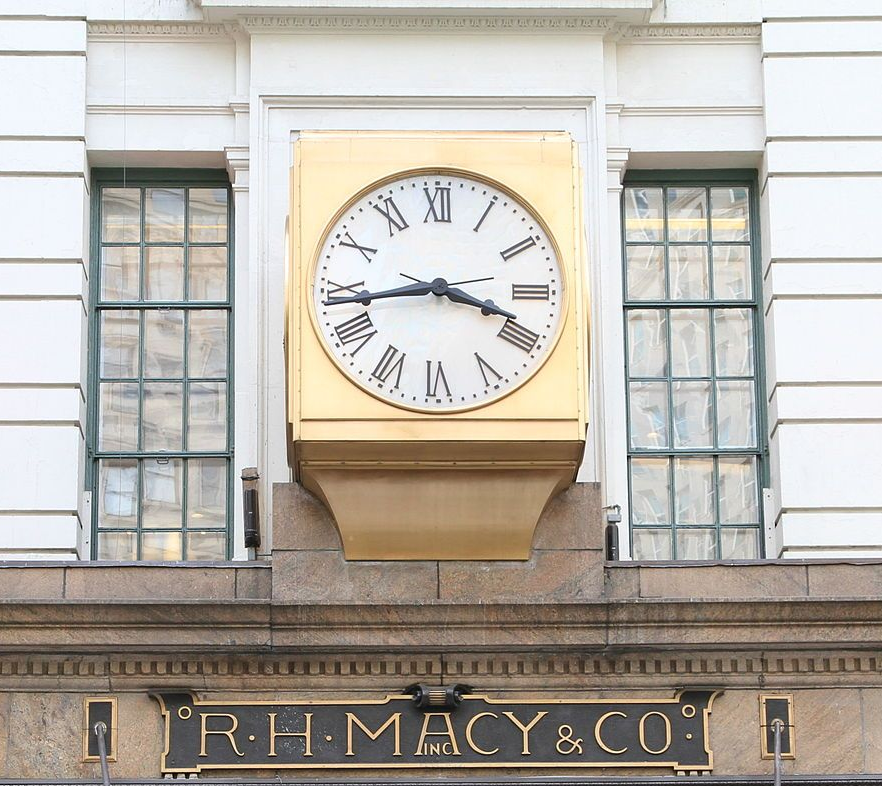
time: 3:43
